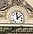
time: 1:59
